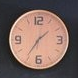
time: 1:35
